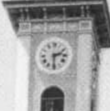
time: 2:29
